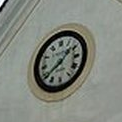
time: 1:39
